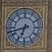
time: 6:42
